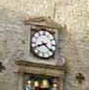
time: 8:21
